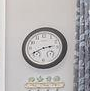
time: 2:40
